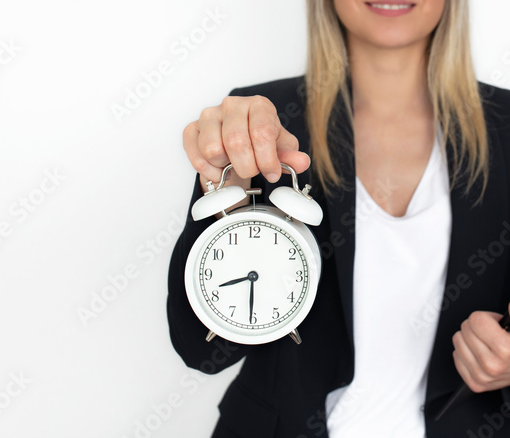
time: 8:30
